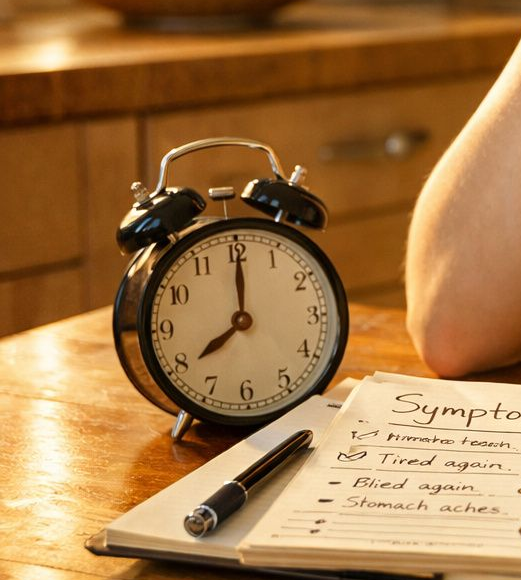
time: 8:00
